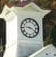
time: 9:19
